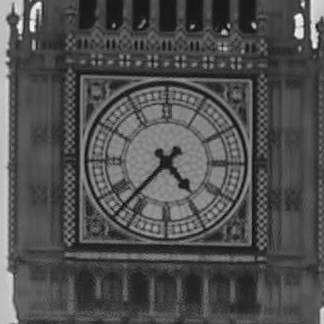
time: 4:37
